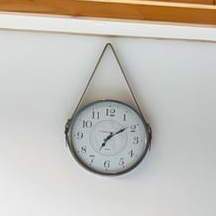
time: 7:09
